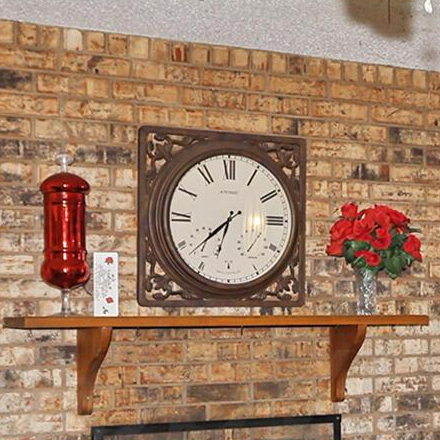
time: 7:32
